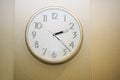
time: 2:22
